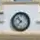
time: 10:37
